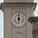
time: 5:59
